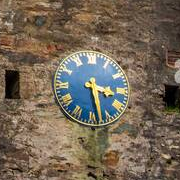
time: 3:28
